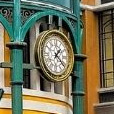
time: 1:21
